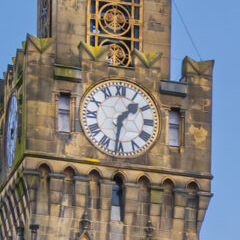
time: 1:31
